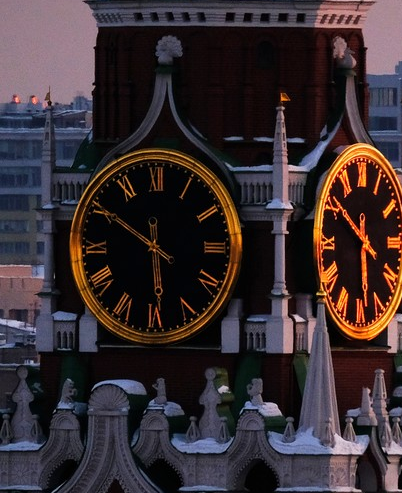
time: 5:50
